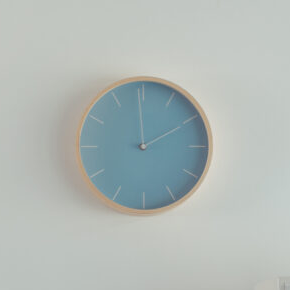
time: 1:59
